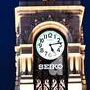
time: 5:13
